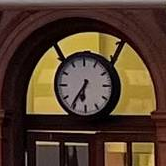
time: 6:36
